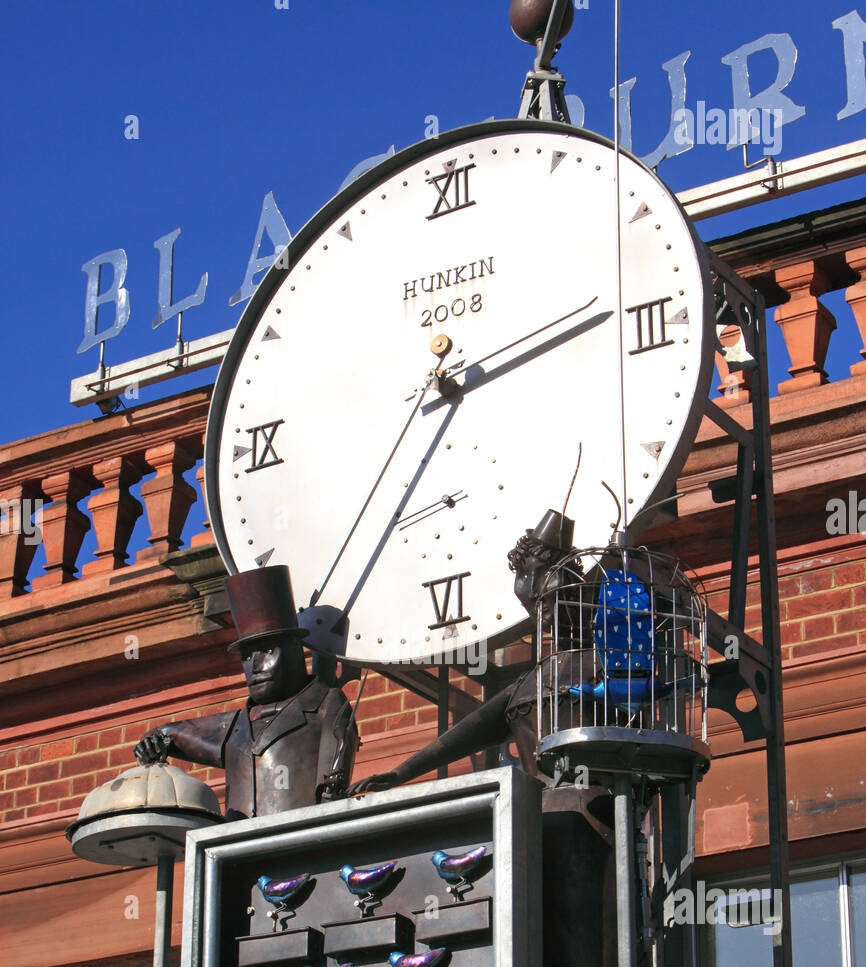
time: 2:35
